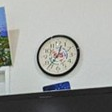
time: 12:36
